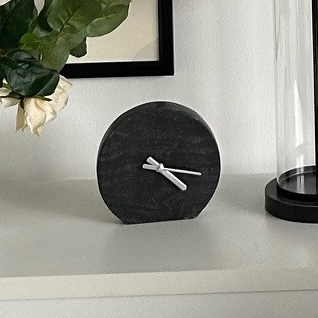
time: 4:16
